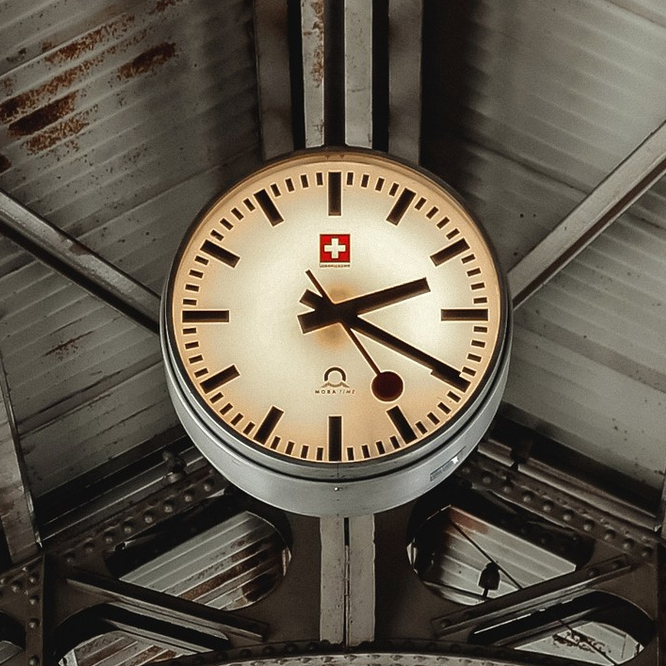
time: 2:19
